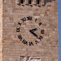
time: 2:21
